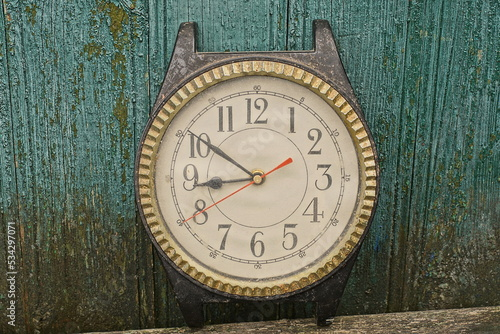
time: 8:50
